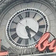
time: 5:20
